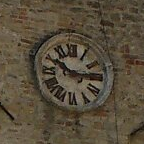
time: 10:14
